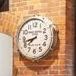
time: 7:42
